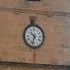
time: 10:32
